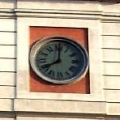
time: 8:00
